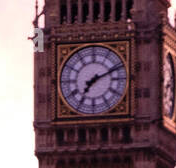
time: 7:11
